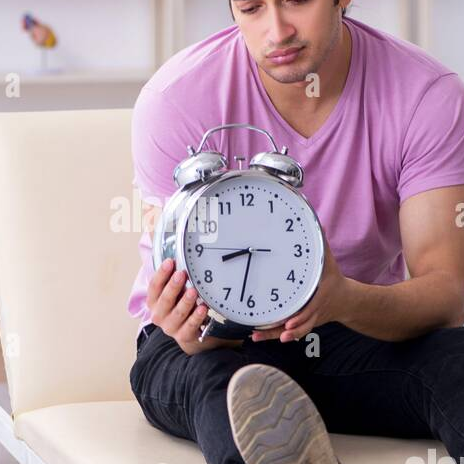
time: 8:32
